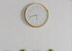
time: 5:42
